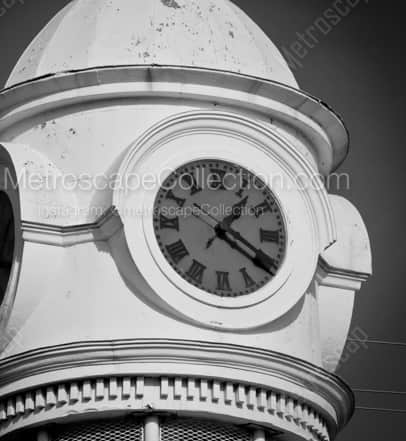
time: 1:20
